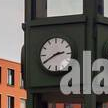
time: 2:40
